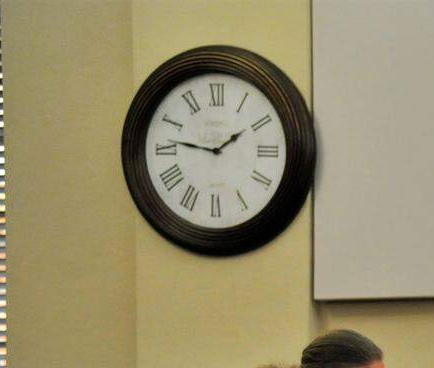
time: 1:46
